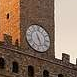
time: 5:26
